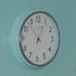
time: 12:53
